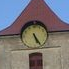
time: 5:25
